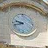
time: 9:42
